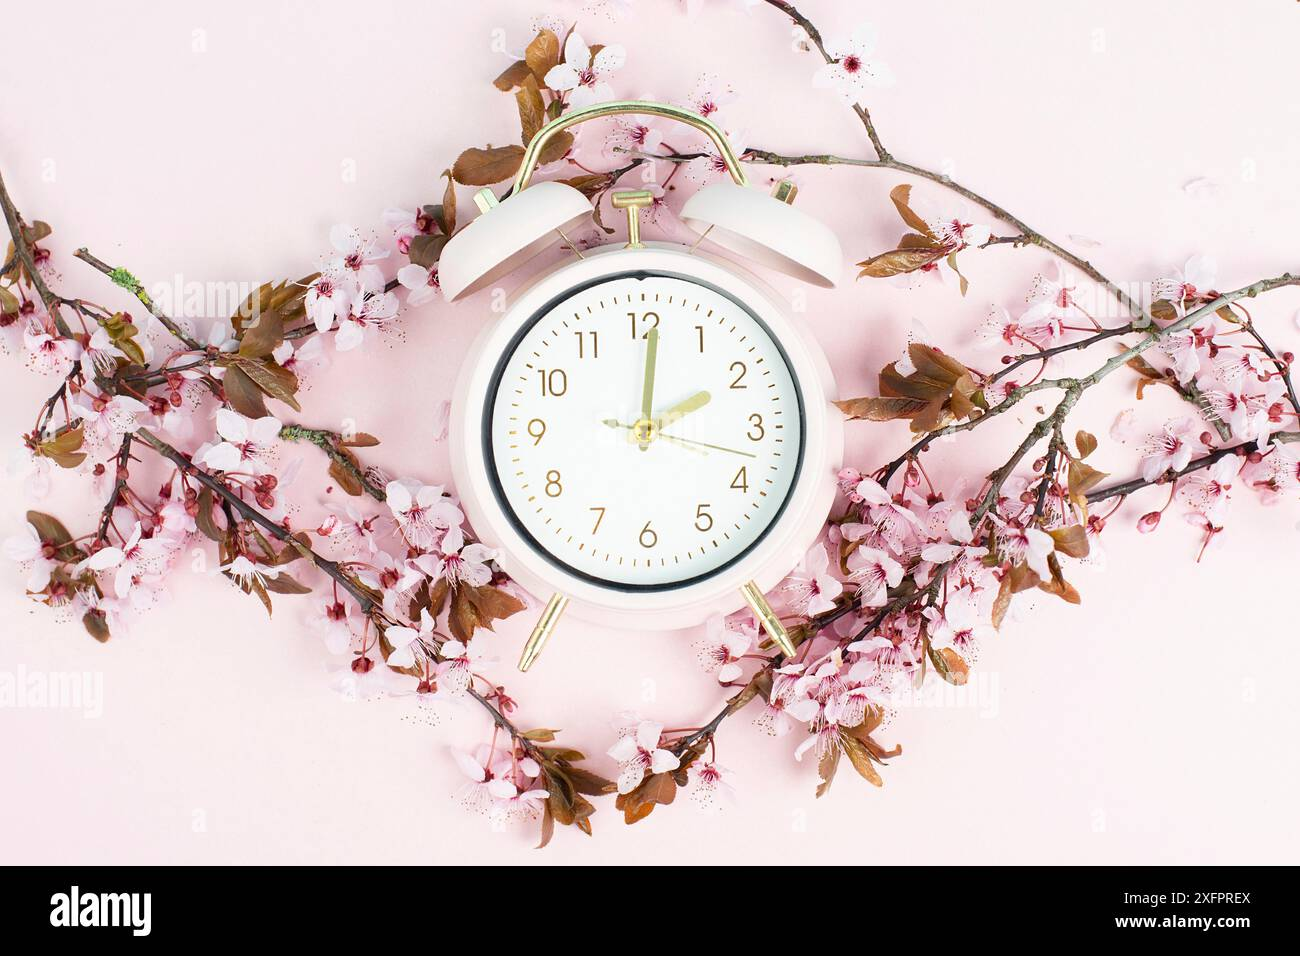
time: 2:01
